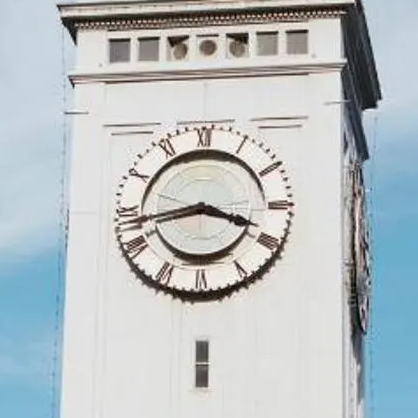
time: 3:43
